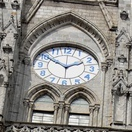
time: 1:50
